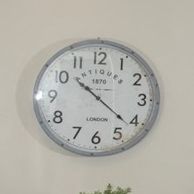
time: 10:21
